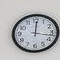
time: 12:16
